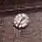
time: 1:35
